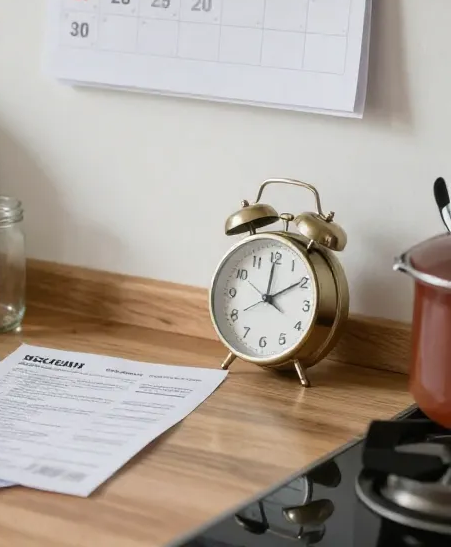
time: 12:09
